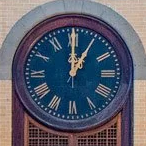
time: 12:59
